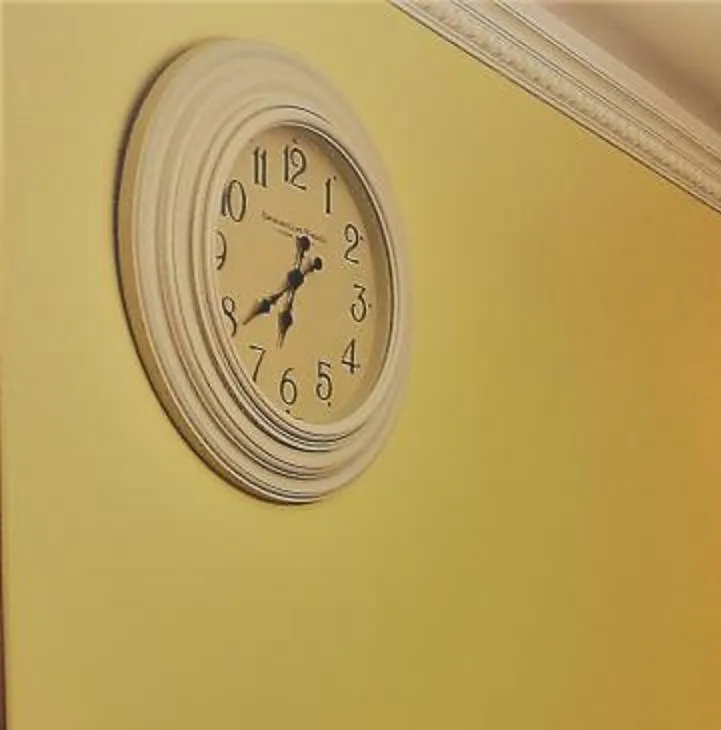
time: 6:39
